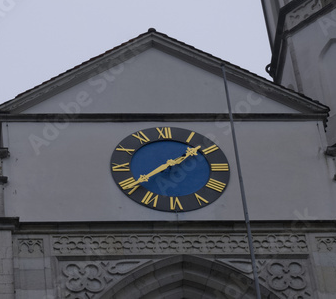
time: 1:39
